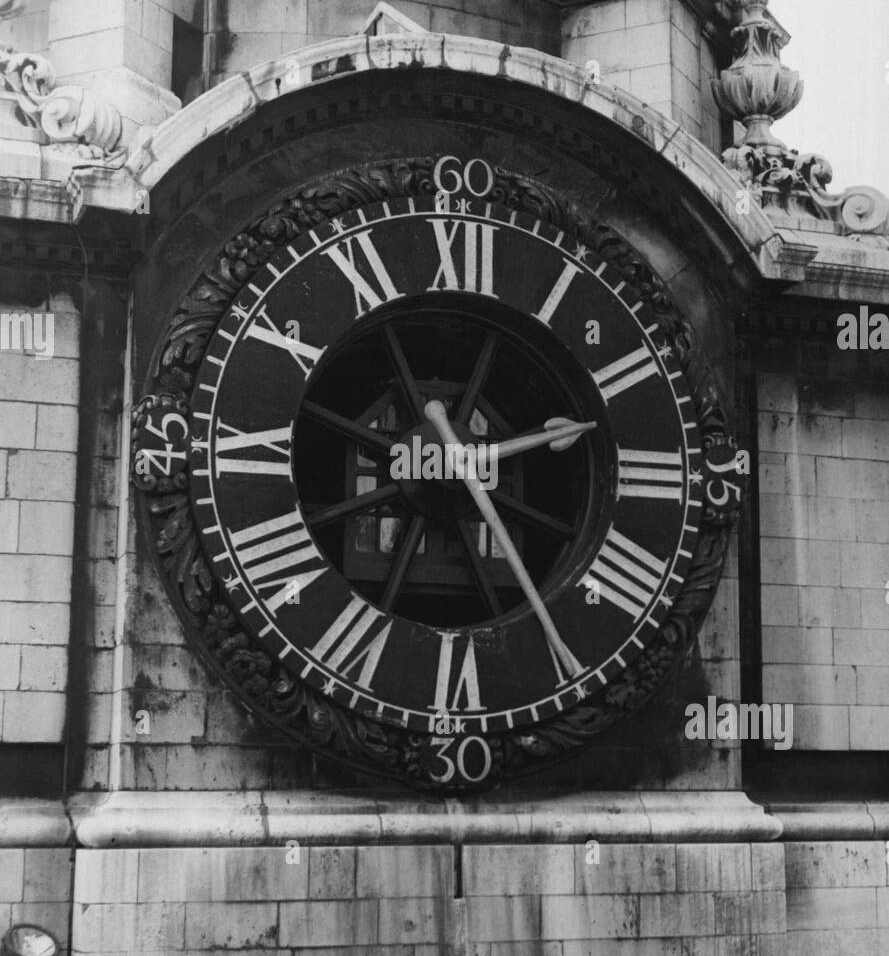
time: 2:24
